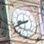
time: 8:40
